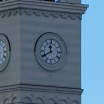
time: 11:40
